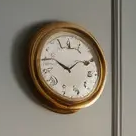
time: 1:49
